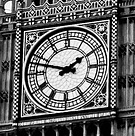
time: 1:47
